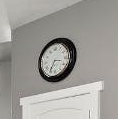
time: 3:34
